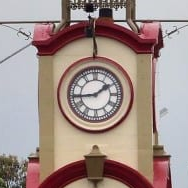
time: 1:44
